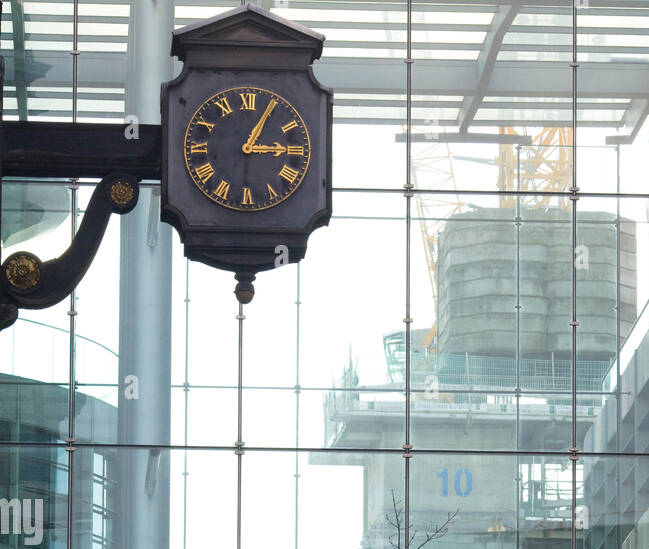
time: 3:04
